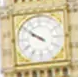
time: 9:50
